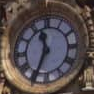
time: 11:34
